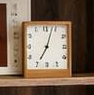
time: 7:03
